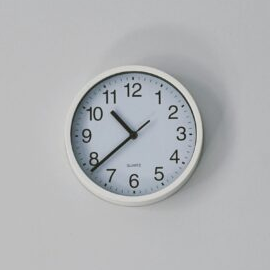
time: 10:38
